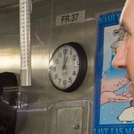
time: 1:00
